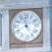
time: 11:40
